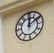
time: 12:09
